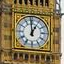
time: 12:59
